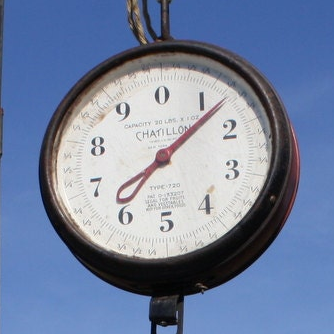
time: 8:07
